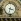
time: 3:32
